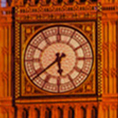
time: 5:38
